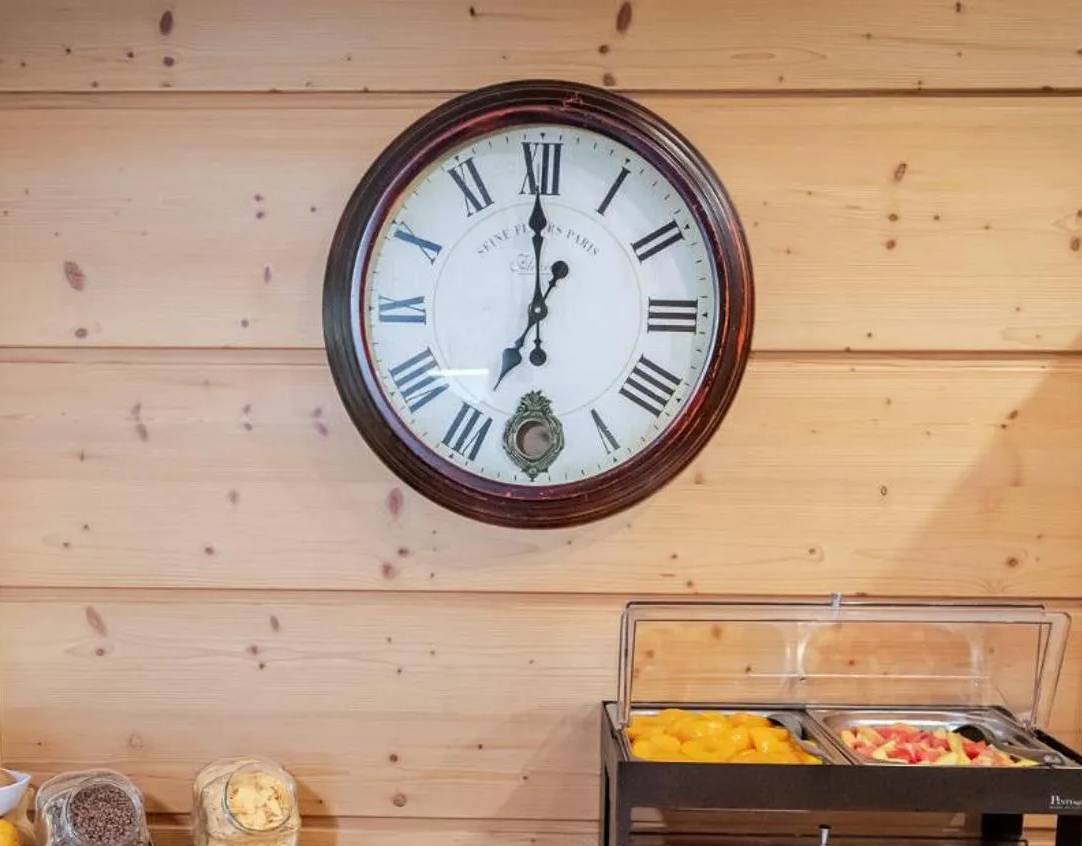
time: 6:59
